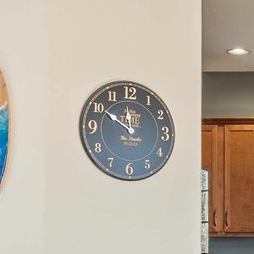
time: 11:50
